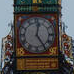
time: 12:24
